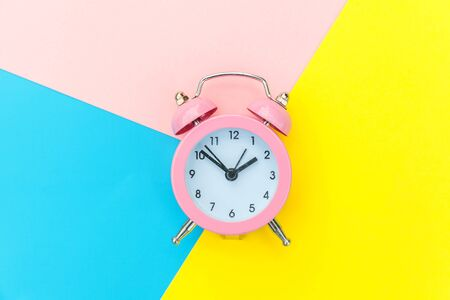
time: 1:51
